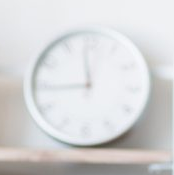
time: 11:44
